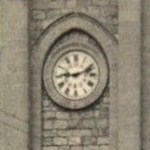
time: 9:11
